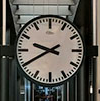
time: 9:40
